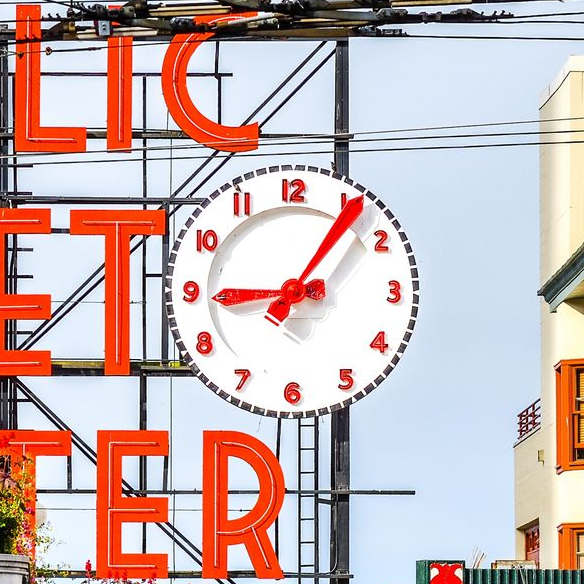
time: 9:06
